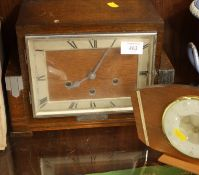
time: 8:04
